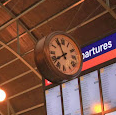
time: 7:55
